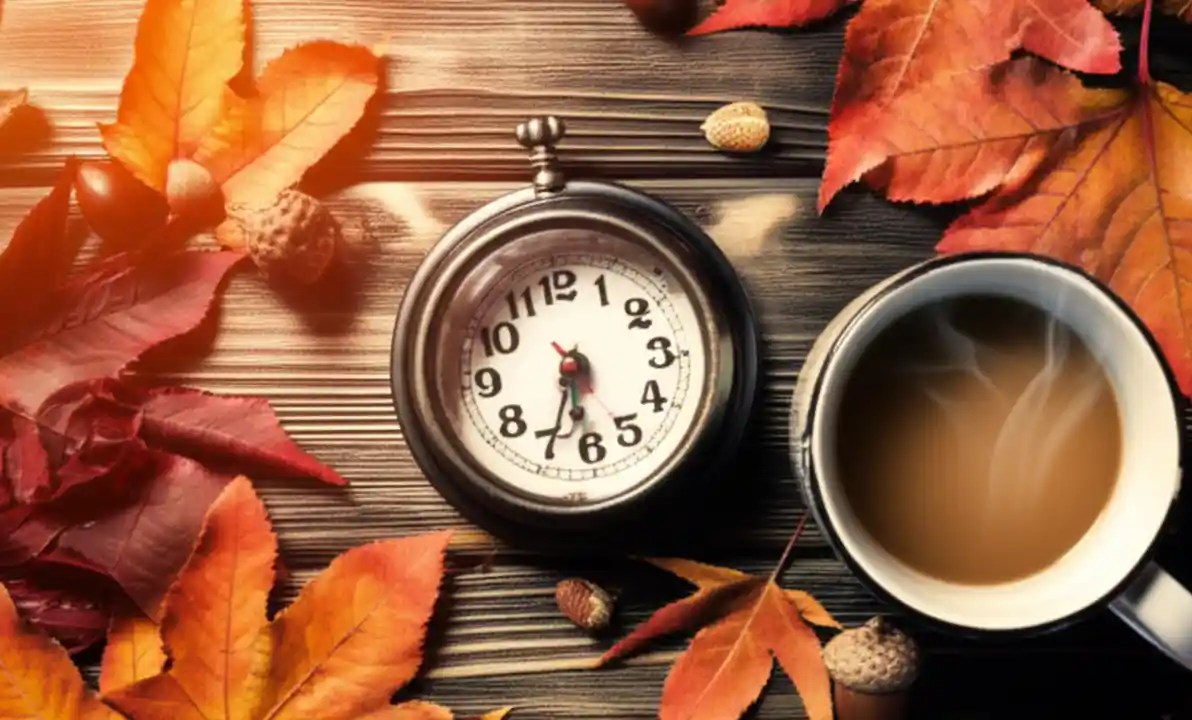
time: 5:33
